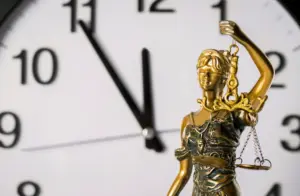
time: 11:54
